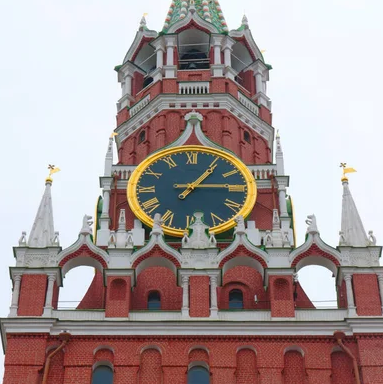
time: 1:14
